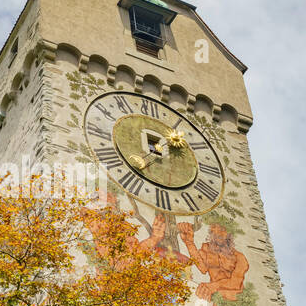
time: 1:36
